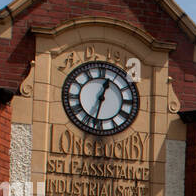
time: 12:32
